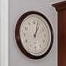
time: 1:02
